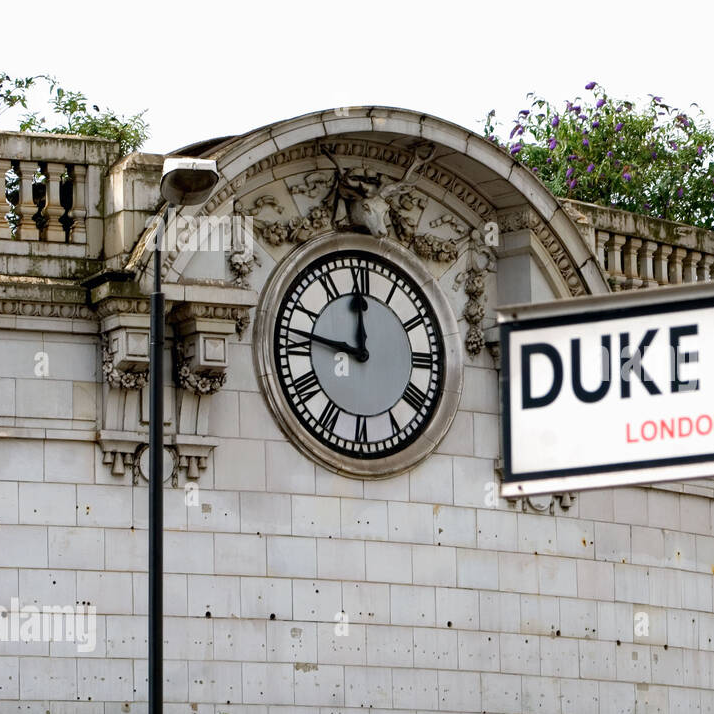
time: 11:46
